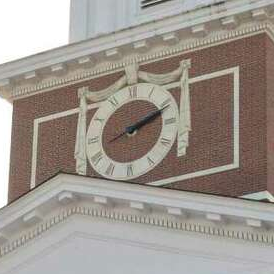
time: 2:11
